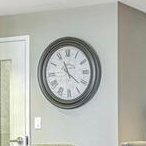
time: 11:21
